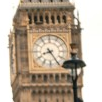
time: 8:24
